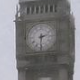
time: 2:31
